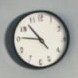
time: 10:45
